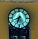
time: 6:41
